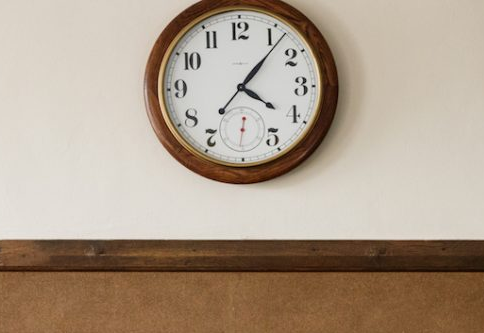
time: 4:06
